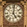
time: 5:01
